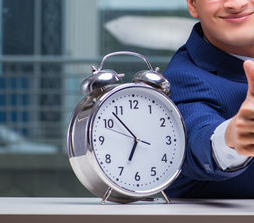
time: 6:53
